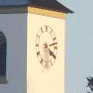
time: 4:12
